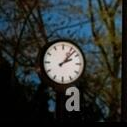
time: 2:07
